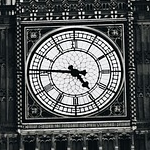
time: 4:45
